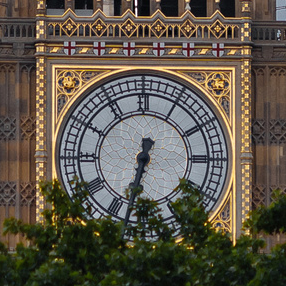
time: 6:32
